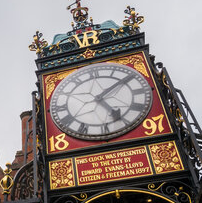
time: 5:09
